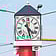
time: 4:27
